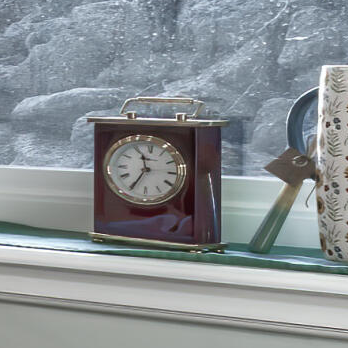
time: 11:35
